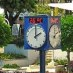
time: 2:00
